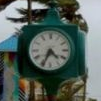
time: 4:34
